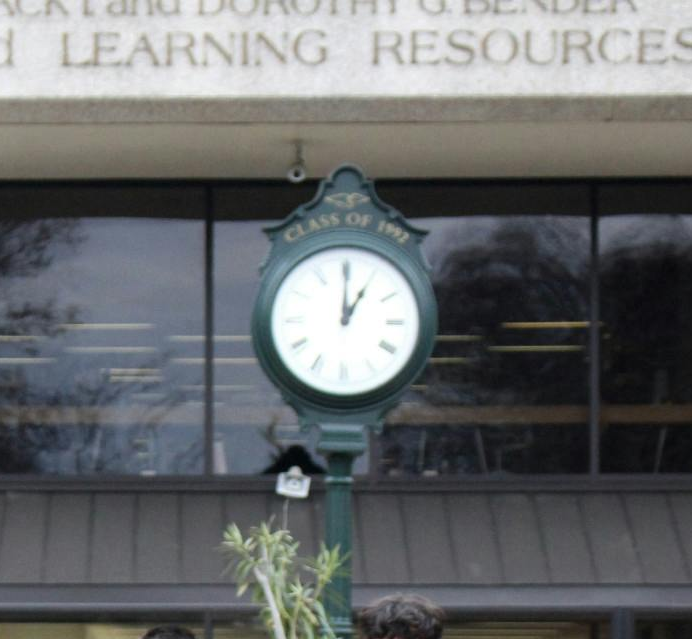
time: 1:00
